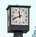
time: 11:41
